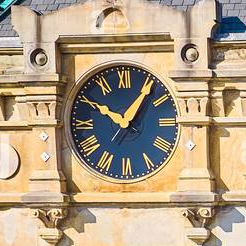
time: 10:06
